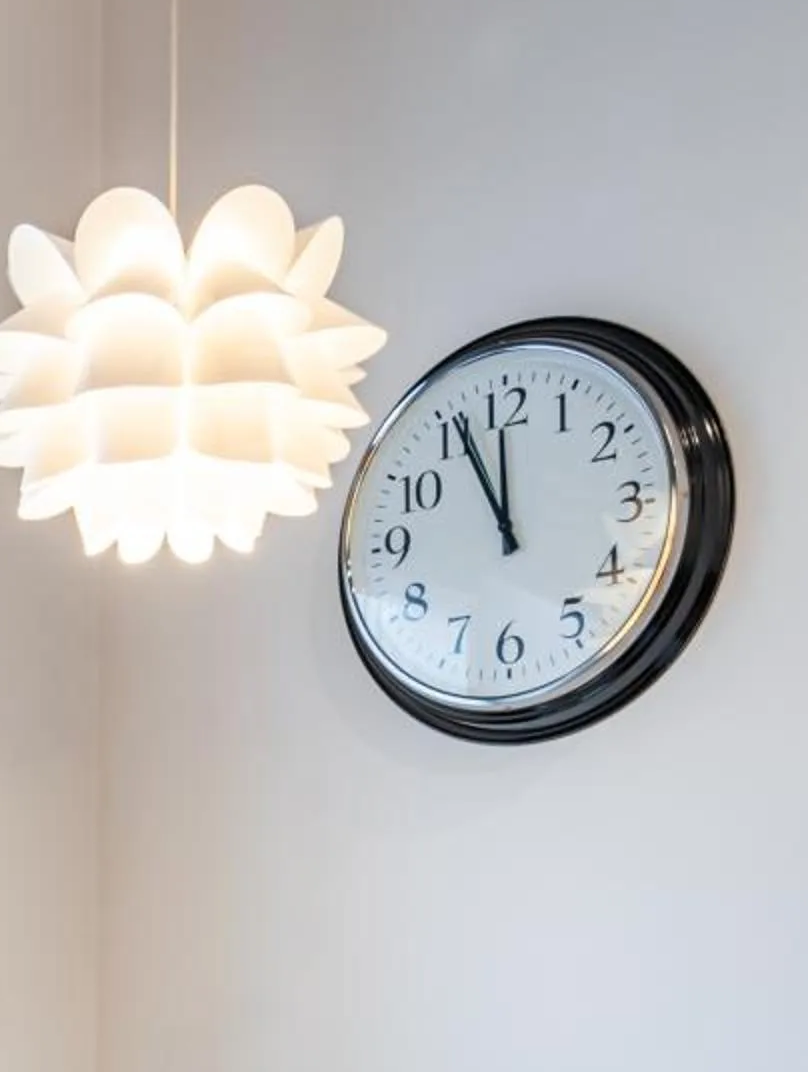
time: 11:55
